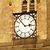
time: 2:53
